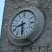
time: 8:29
